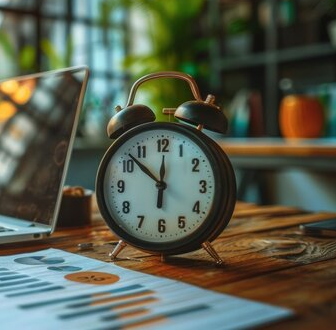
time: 11:52
